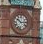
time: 10:14
